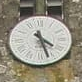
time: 4:27
